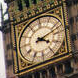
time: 4:12
